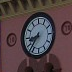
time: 8:36
